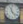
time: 11:22
